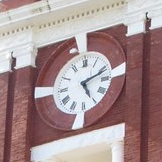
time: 5:11
